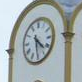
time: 4:29
